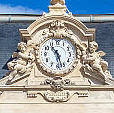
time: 10:27
